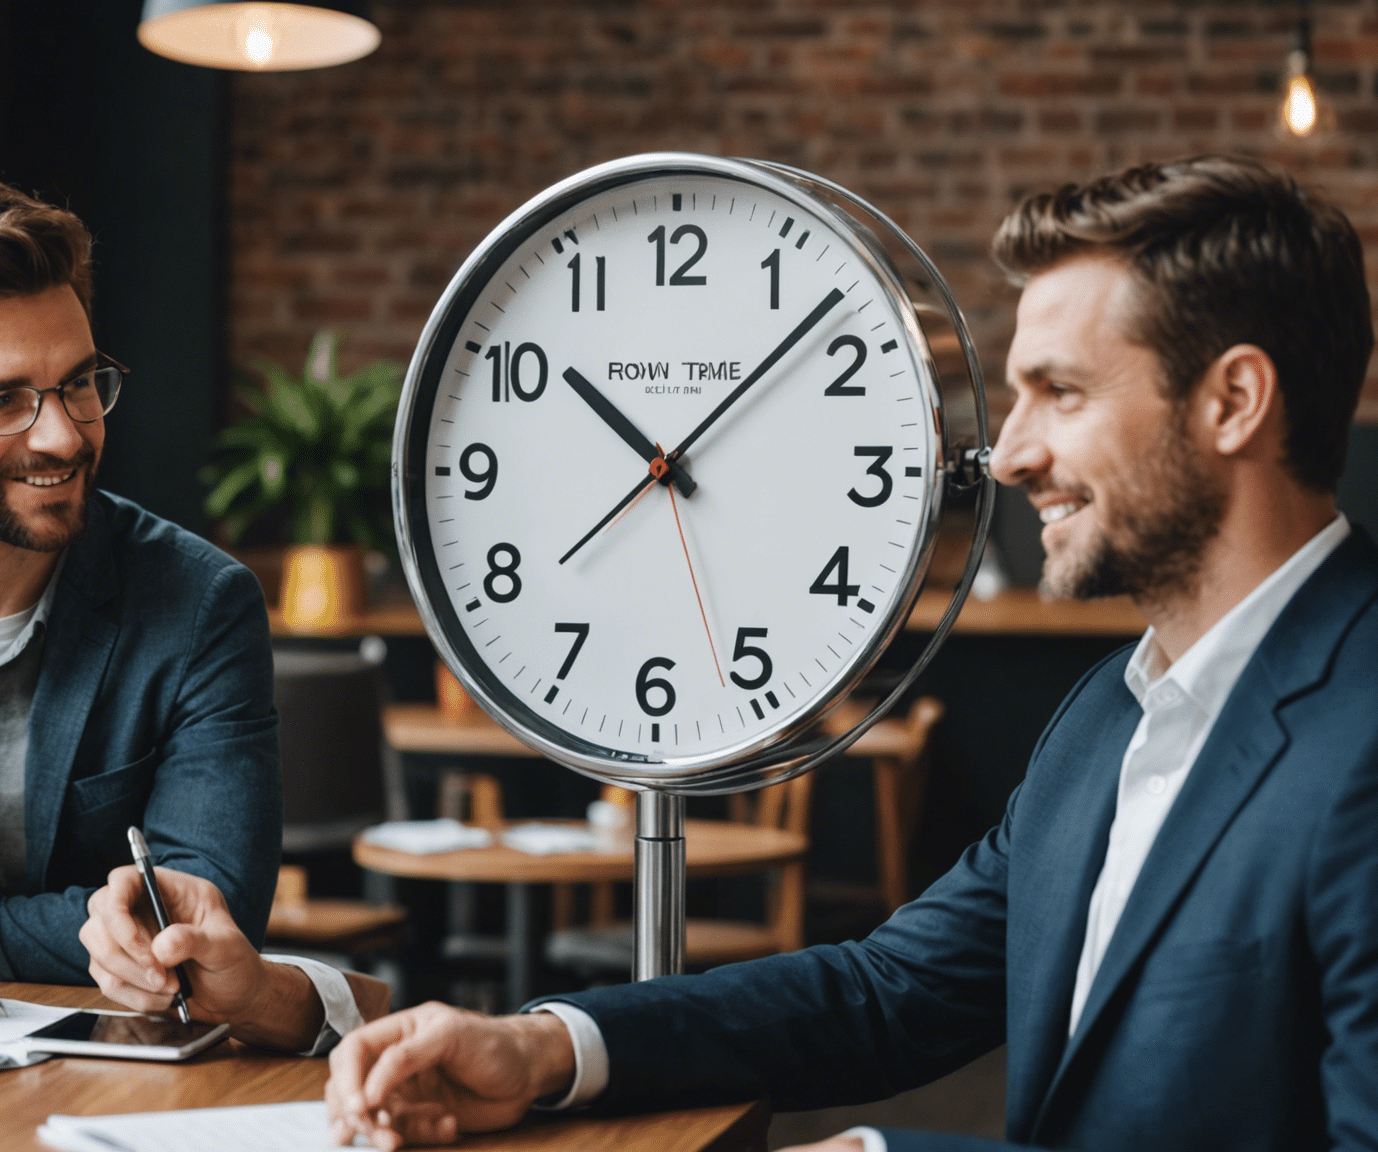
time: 10:07
